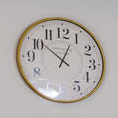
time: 12:51
